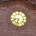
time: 8:32
